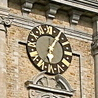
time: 6:05
